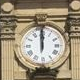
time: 11:59
